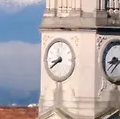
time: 8:39
